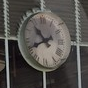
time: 10:41
